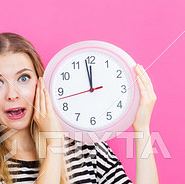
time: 11:58
